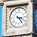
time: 3:23
